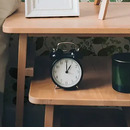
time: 1:00
